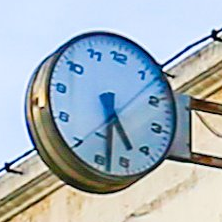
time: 5:32
